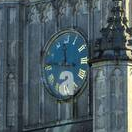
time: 11:46
